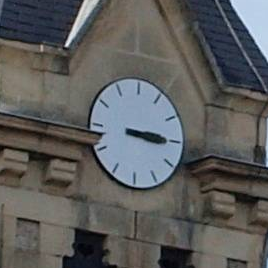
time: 3:14
